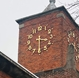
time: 3:29
